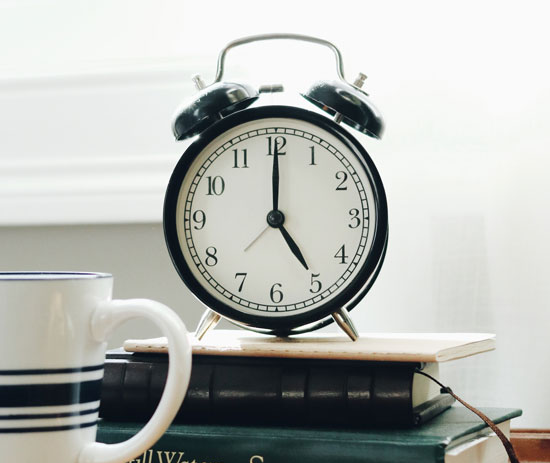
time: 5:00
